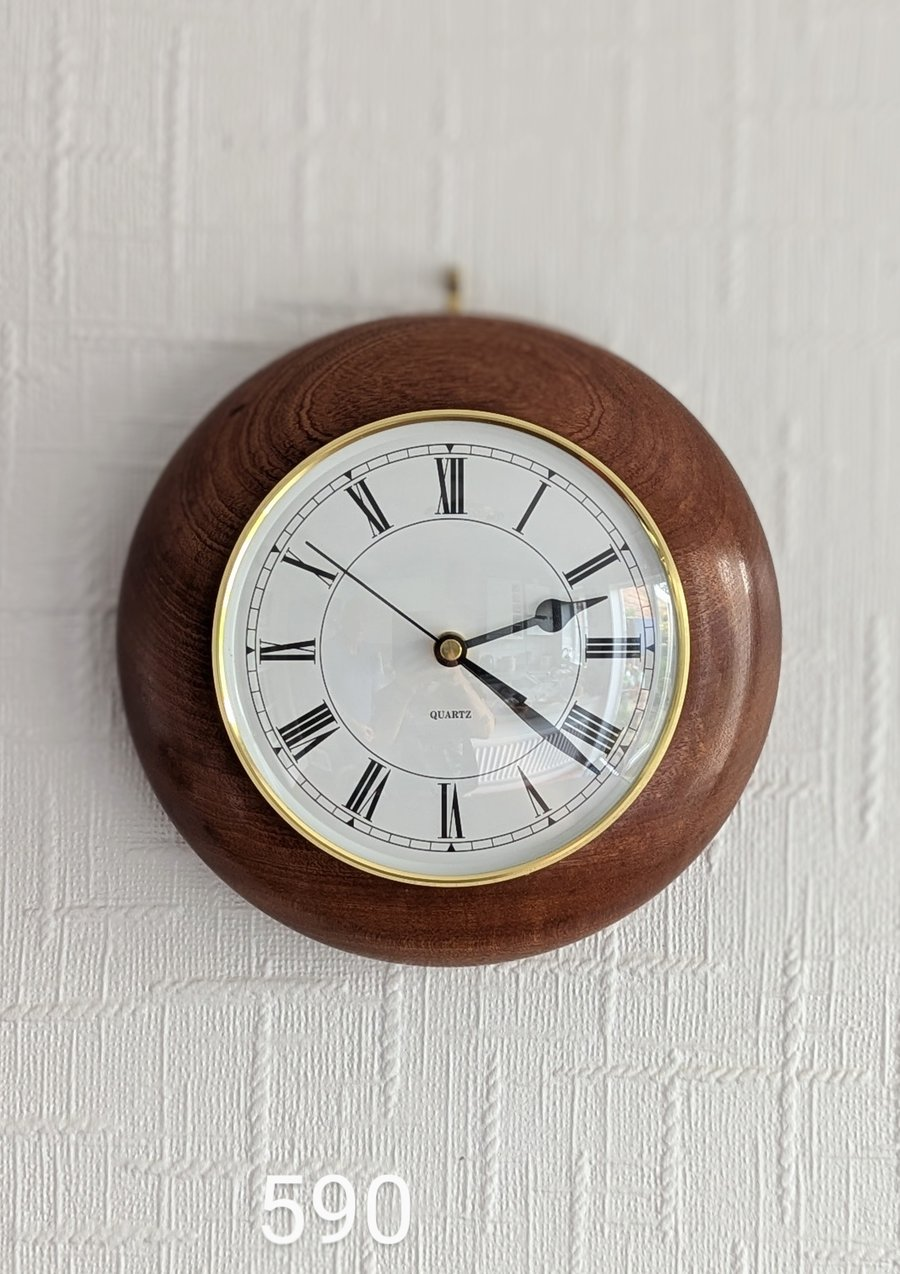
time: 2:21
